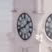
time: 1:41
